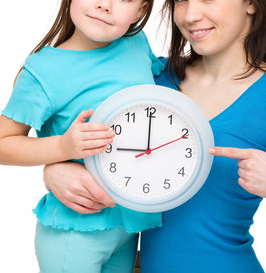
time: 9:00
